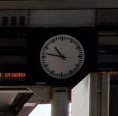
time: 10:47
